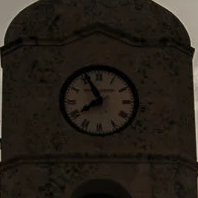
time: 7:55
